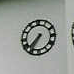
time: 7:35
